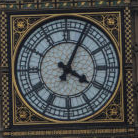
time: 4:04
